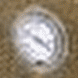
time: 3:48
